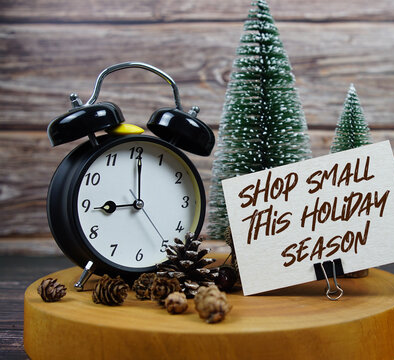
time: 9:01
